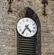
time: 4:35
